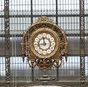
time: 11:44
